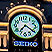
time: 7:20
